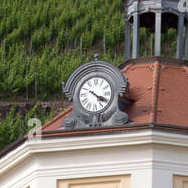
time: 4:19
